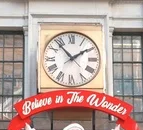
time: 1:53
